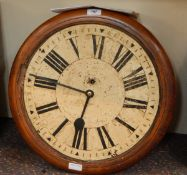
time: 6:46
